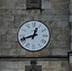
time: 12:41
